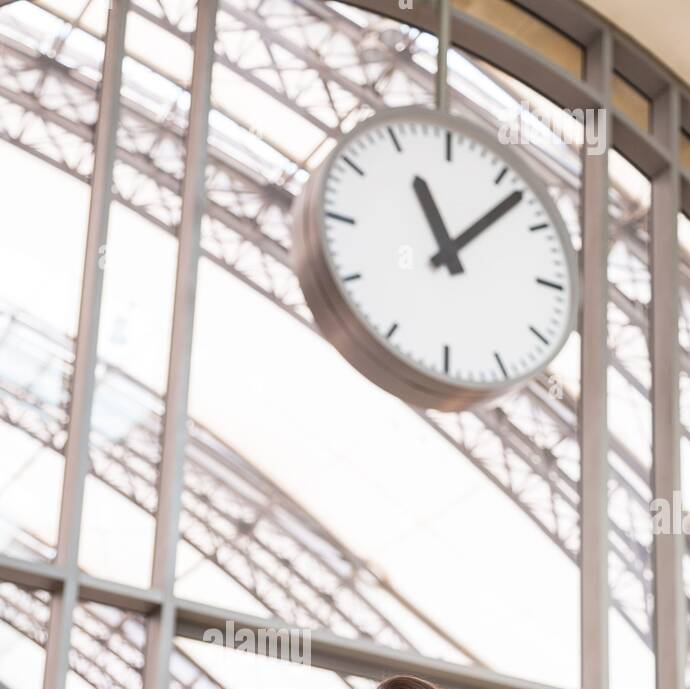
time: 11:07
